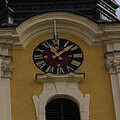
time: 11:07
